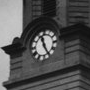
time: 11:25
